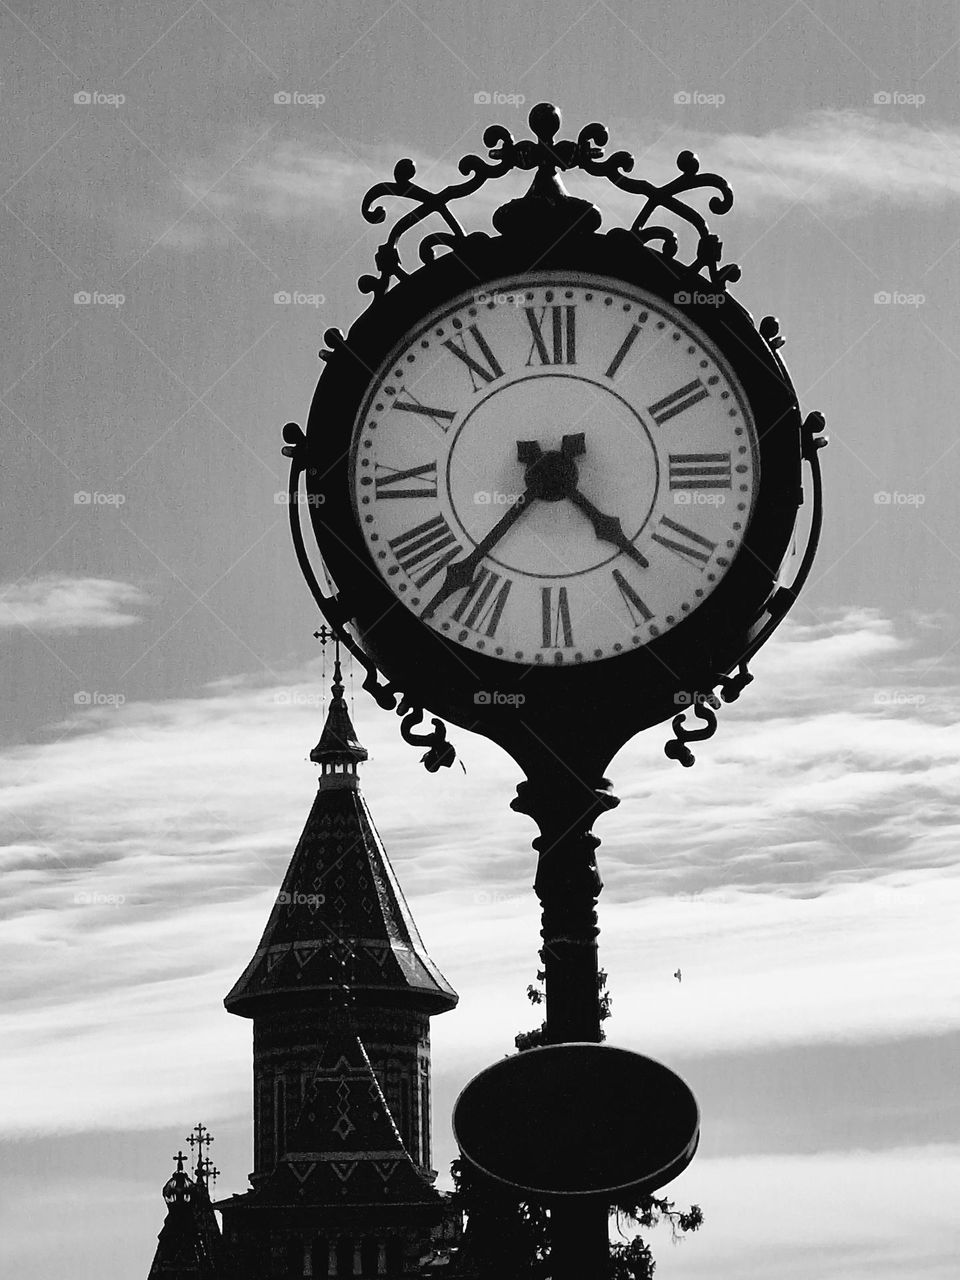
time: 4:37
